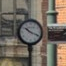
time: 10:18
